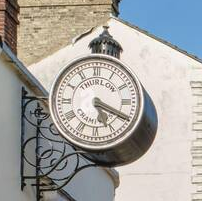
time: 5:19
